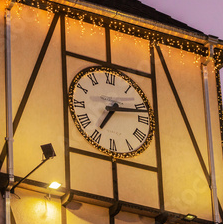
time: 7:12
